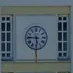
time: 5:45
